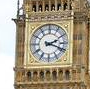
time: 2:18
